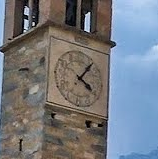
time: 4:06
